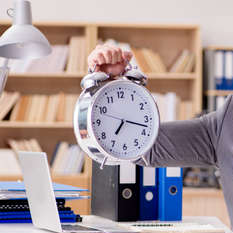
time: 7:17
